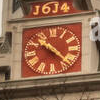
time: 10:22
